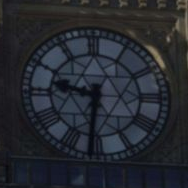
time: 9:31
